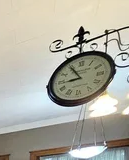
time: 8:54
